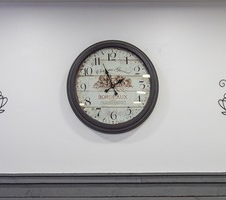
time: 1:56
